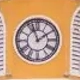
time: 1:56
